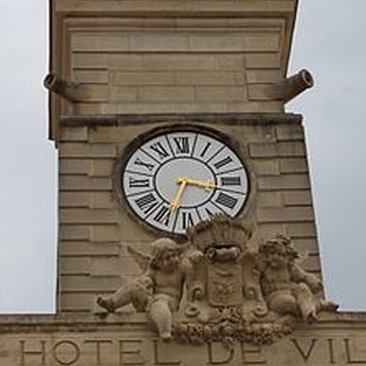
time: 3:33
